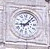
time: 9:07
